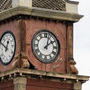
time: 2:02
